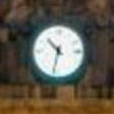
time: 10:32
